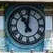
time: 11:01
